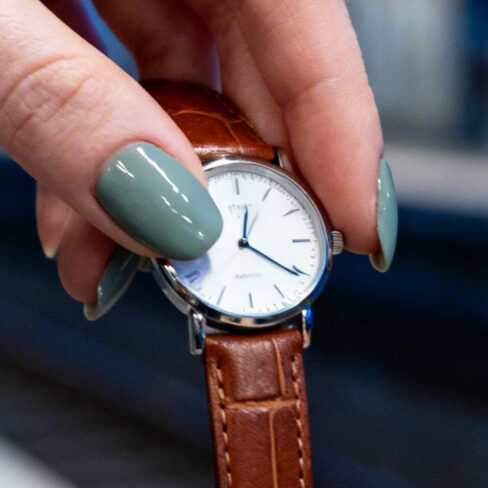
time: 12:20
